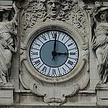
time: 3:01
